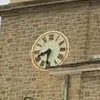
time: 8:31
